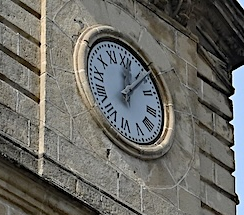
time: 12:06
